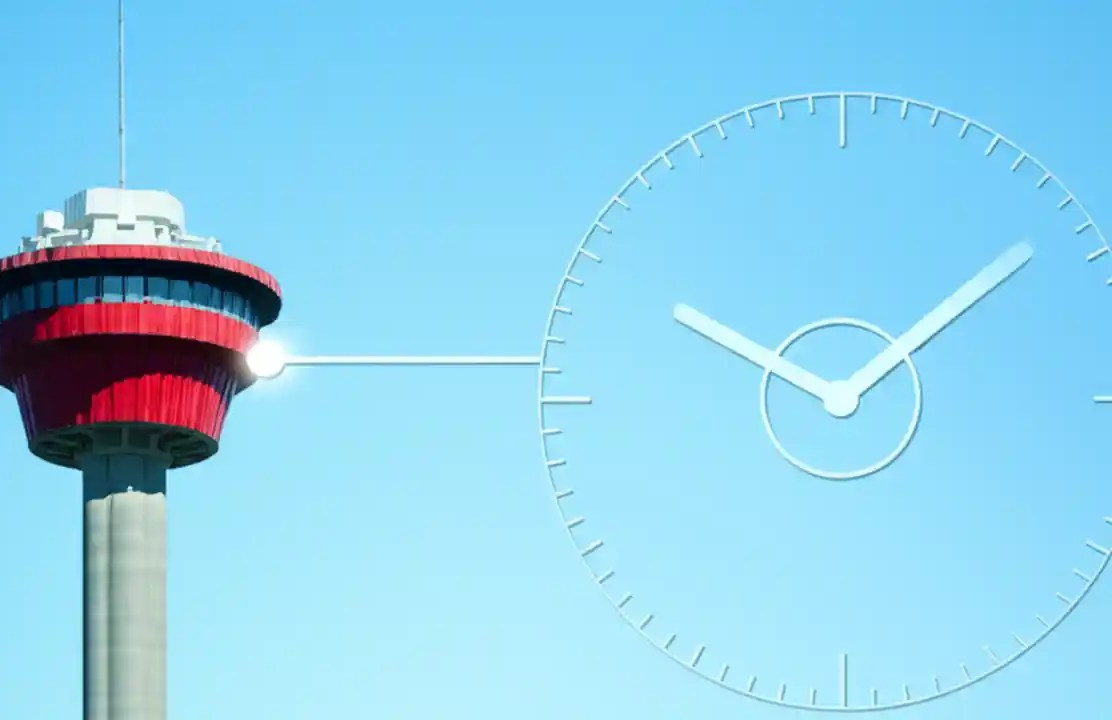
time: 10:08
